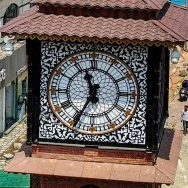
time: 11:34
